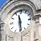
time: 11:28
